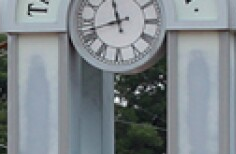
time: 11:42
